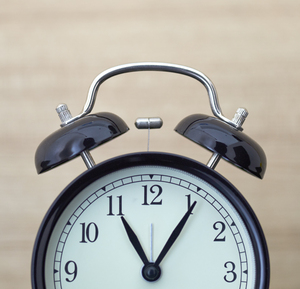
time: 11:05
